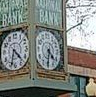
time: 4:31
